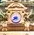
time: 8:38
